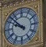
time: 9:52
